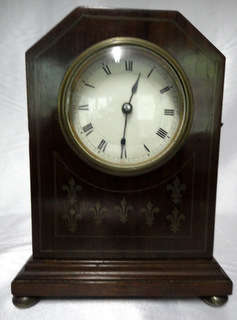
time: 12:30
